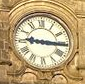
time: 9:15
